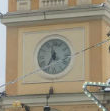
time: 11:35
